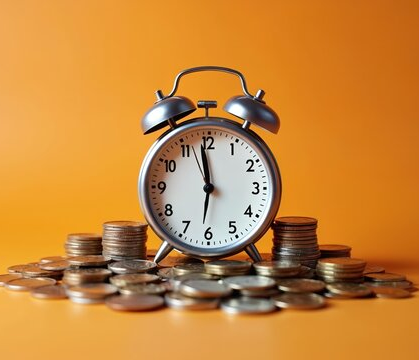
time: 11:58
